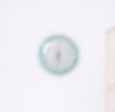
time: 5:31
